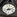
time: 8:12
